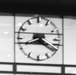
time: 8:20
